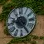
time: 9:23
